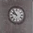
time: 9:53
